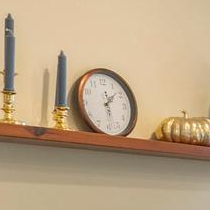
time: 1:28
